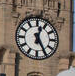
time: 12:24
